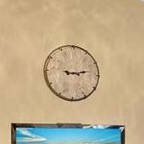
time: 9:12
